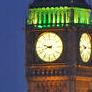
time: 9:42
